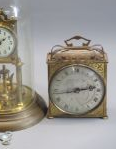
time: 2:43
